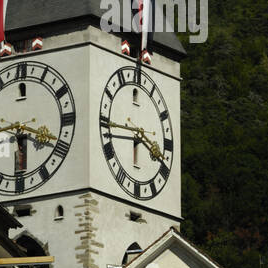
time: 3:43
